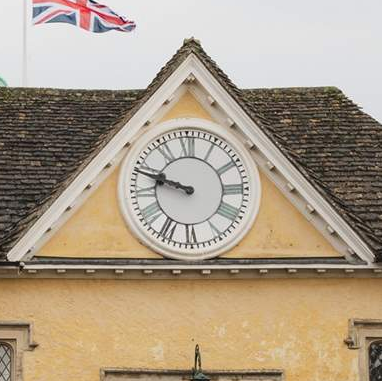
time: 9:48
